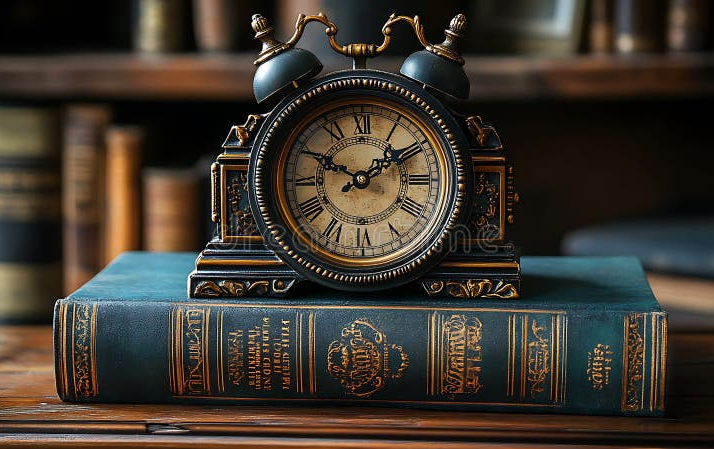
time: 1:49
